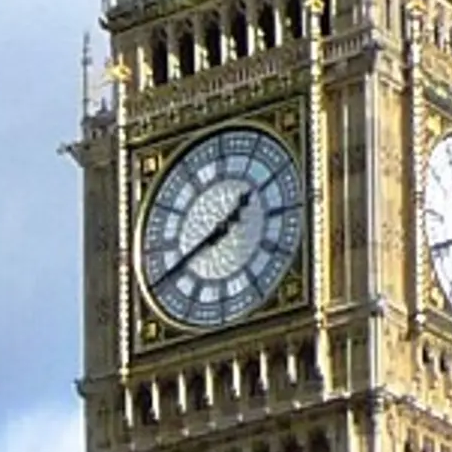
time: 1:41
